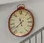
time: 11:37
